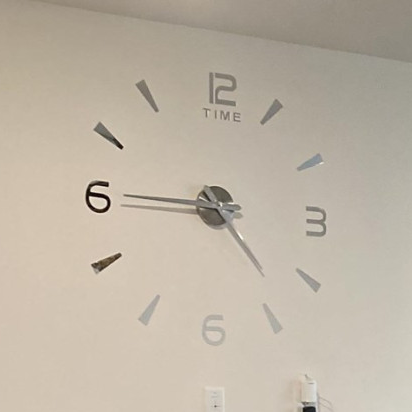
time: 4:45
